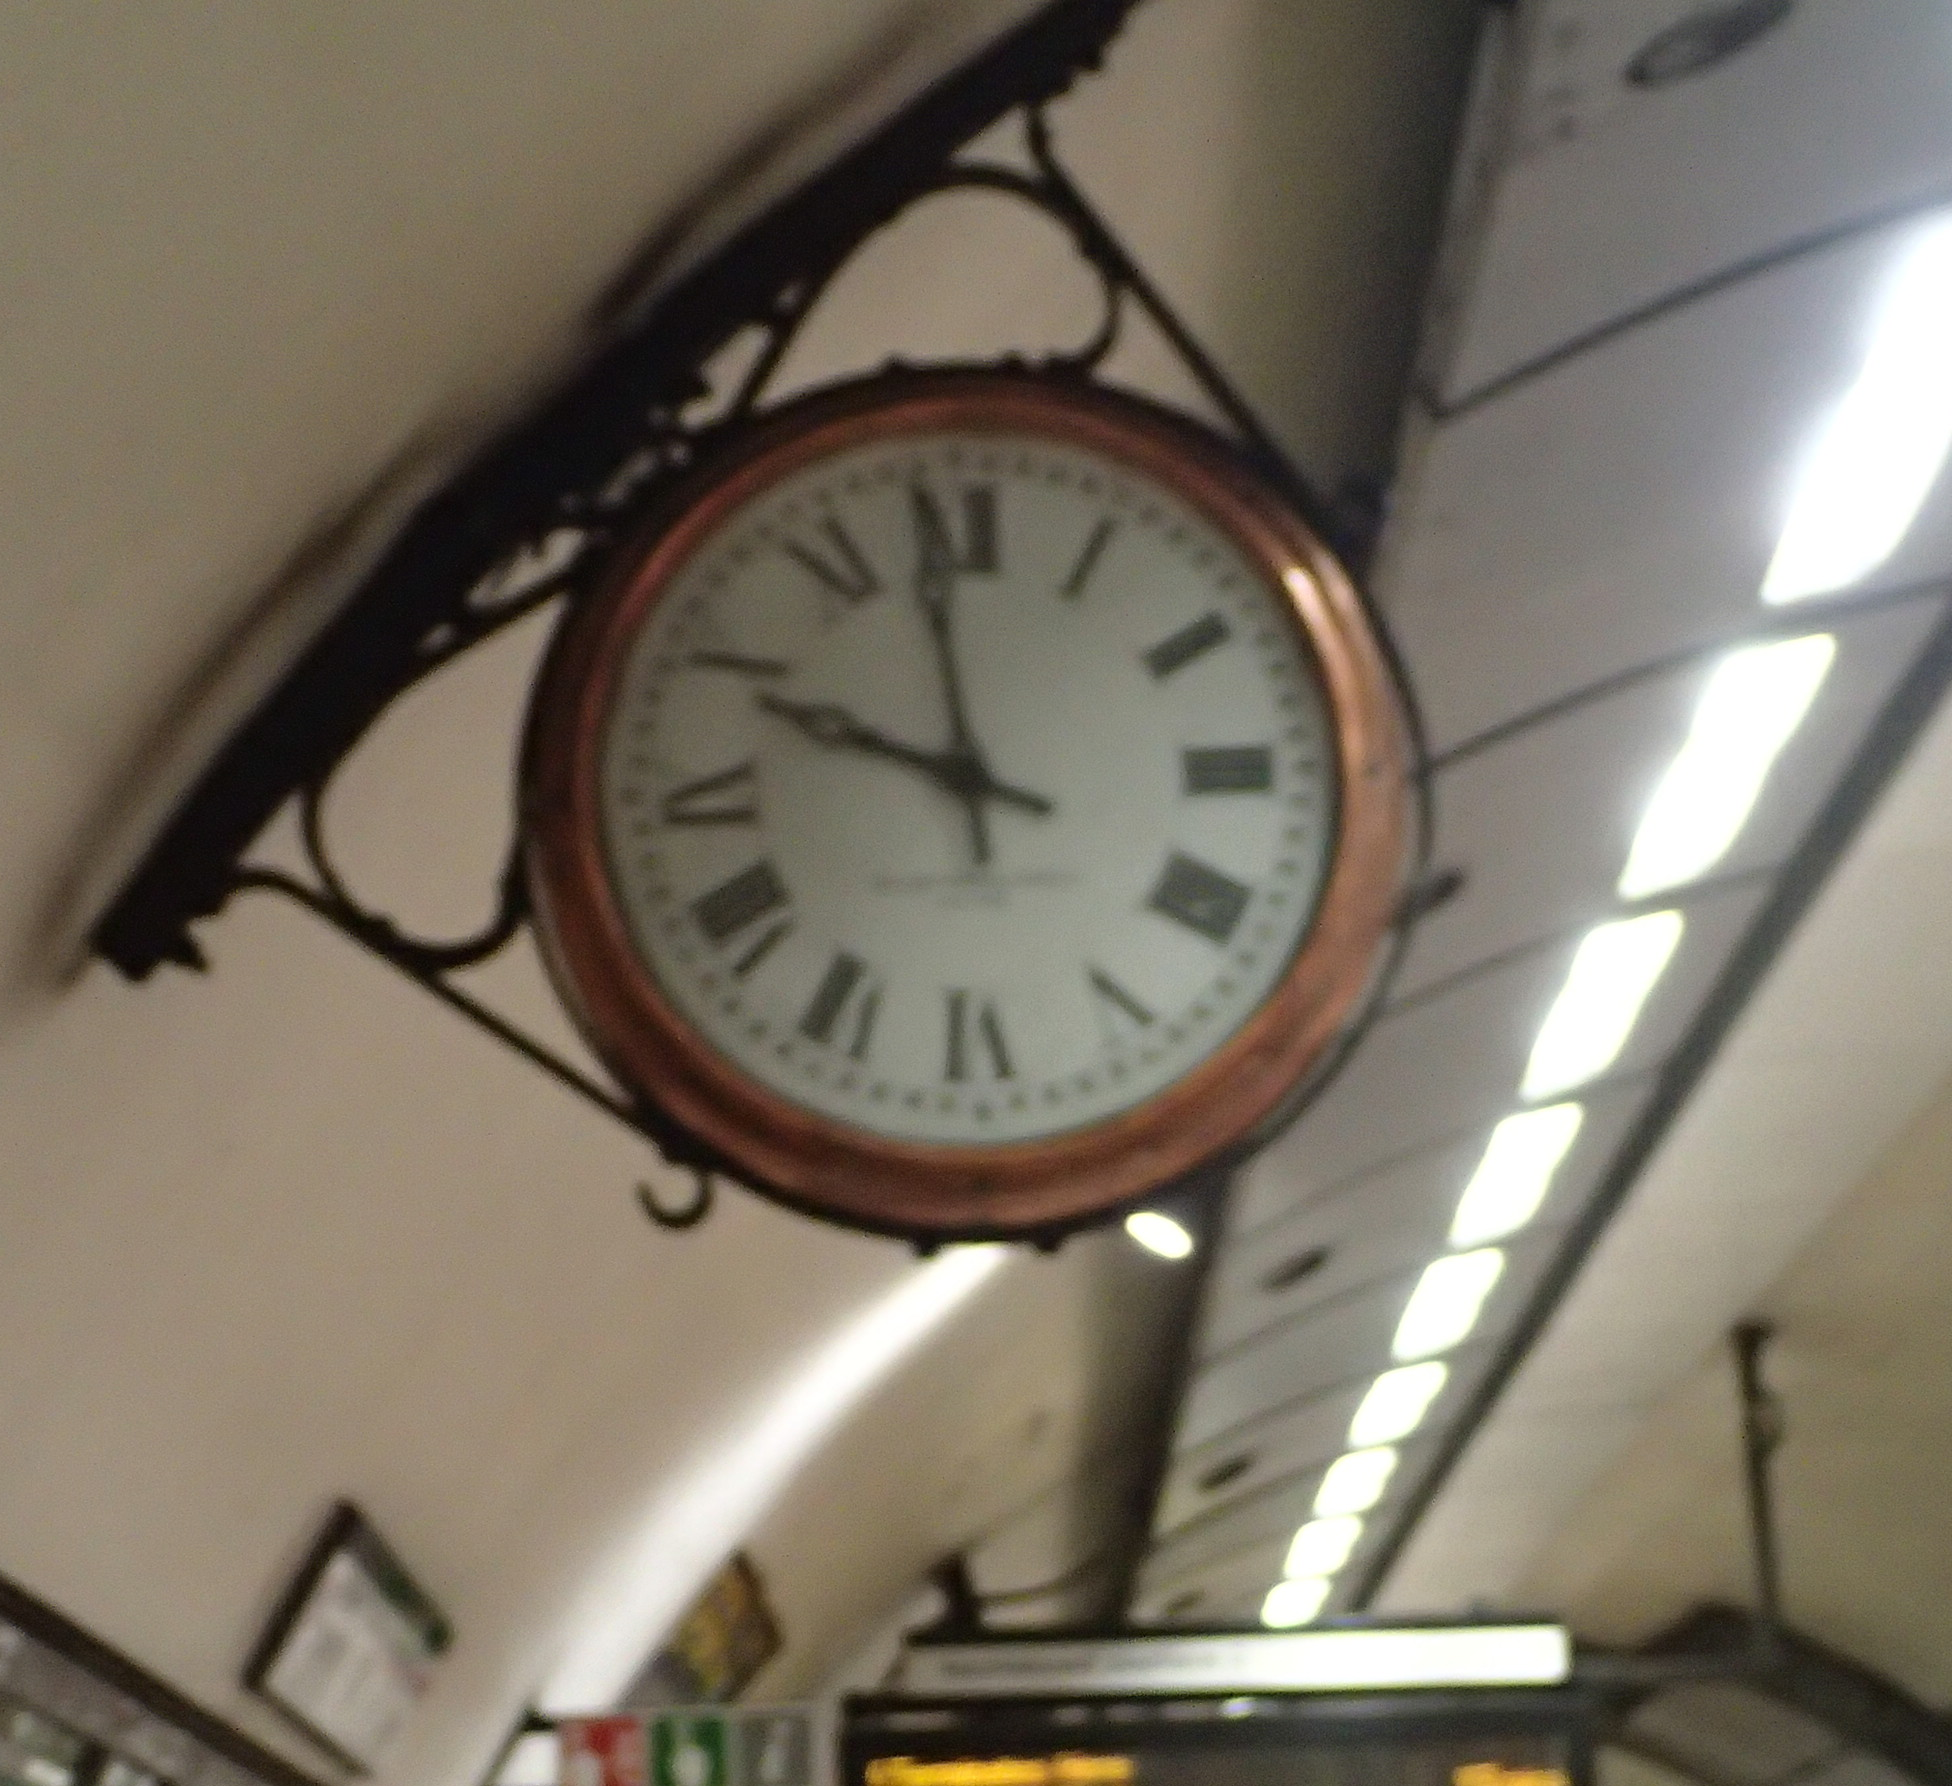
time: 9:58
